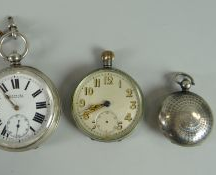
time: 8:41
